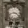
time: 3:42
